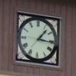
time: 1:15
